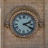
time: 2:19
